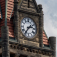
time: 2:36
